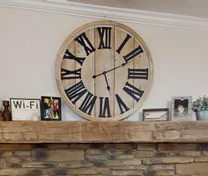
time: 5:11
